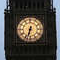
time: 6:32
